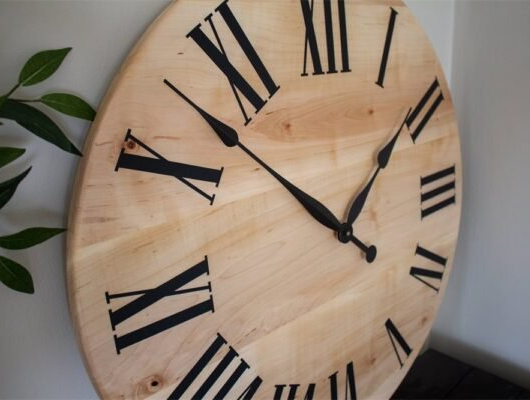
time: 1:52
